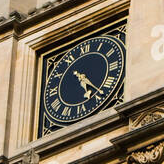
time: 5:23
